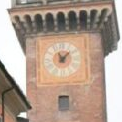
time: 11:07
